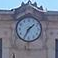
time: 1:34
